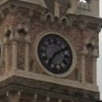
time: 7:09
